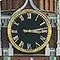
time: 3:12
